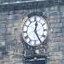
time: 12:24
